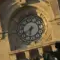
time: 6:40
